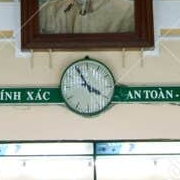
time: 3:55
